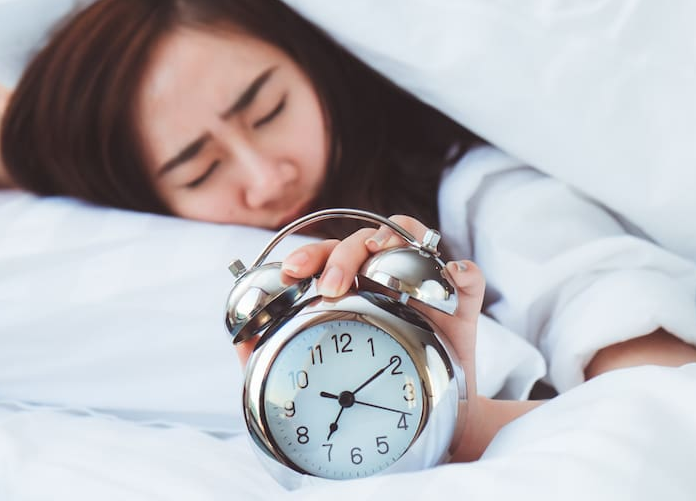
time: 7:09
